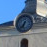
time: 6:37
